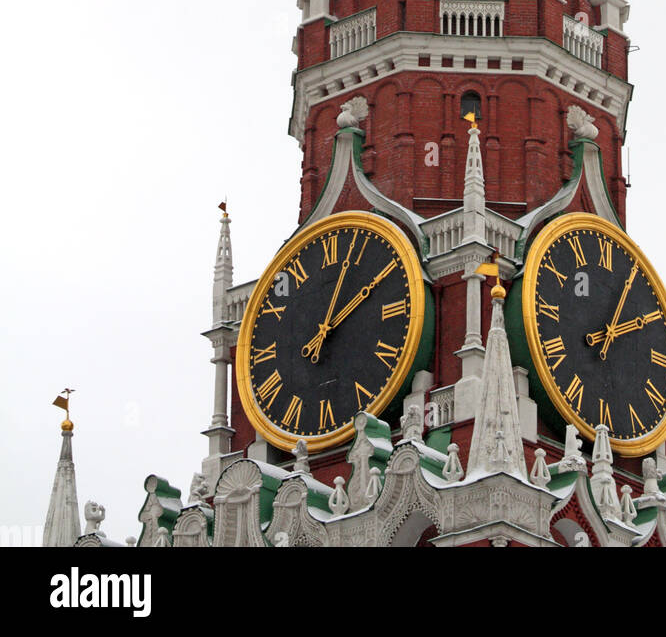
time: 2:03
